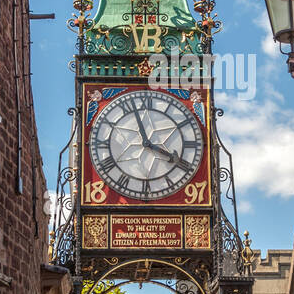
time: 3:57
